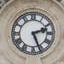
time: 2:26
